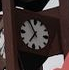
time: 6:54
